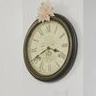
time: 3:40
